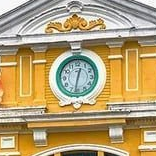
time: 12:32
